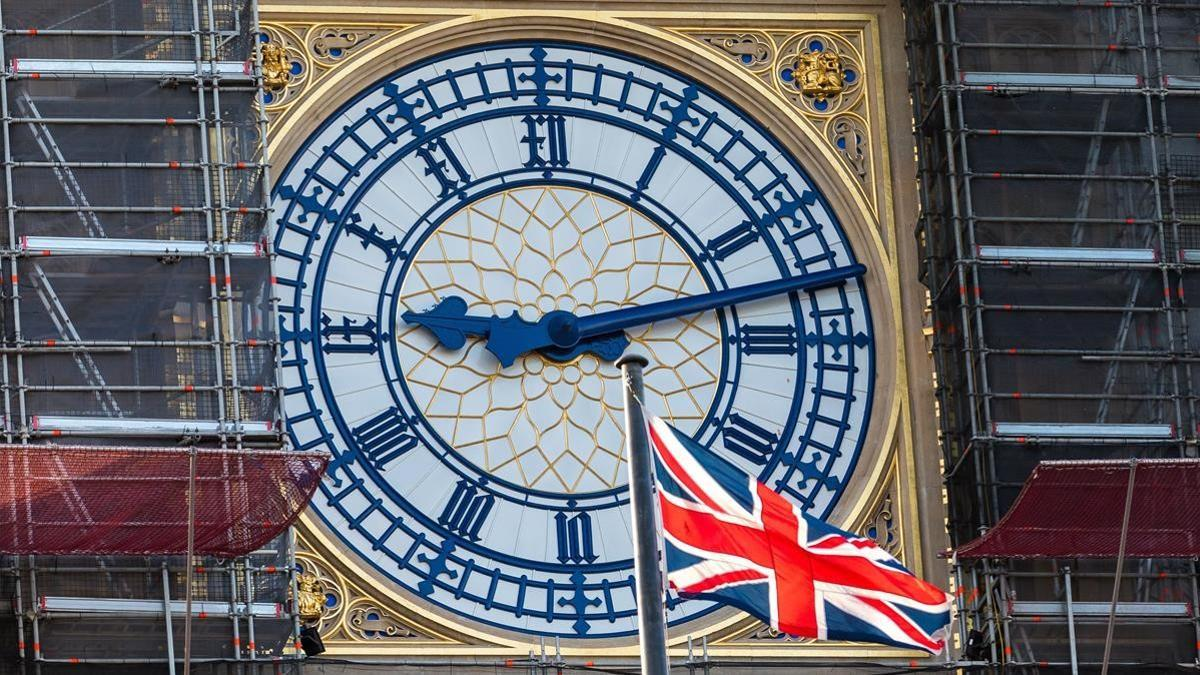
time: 9:12
